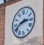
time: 2:40
